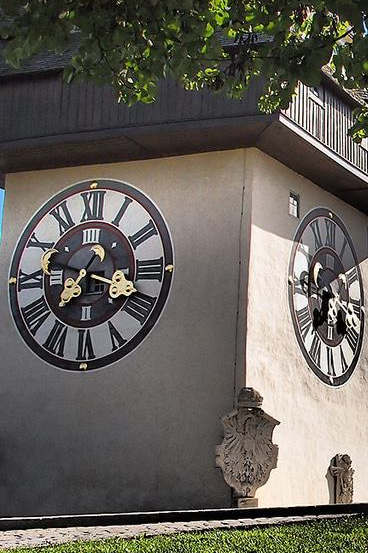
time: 7:17
